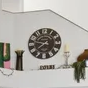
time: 7:46
